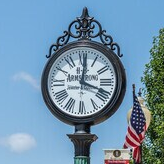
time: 12:18
